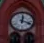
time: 12:18
